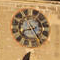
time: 8:24
